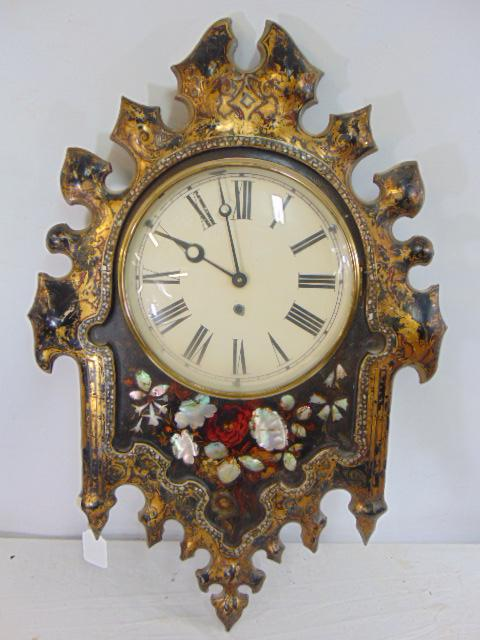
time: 9:57
